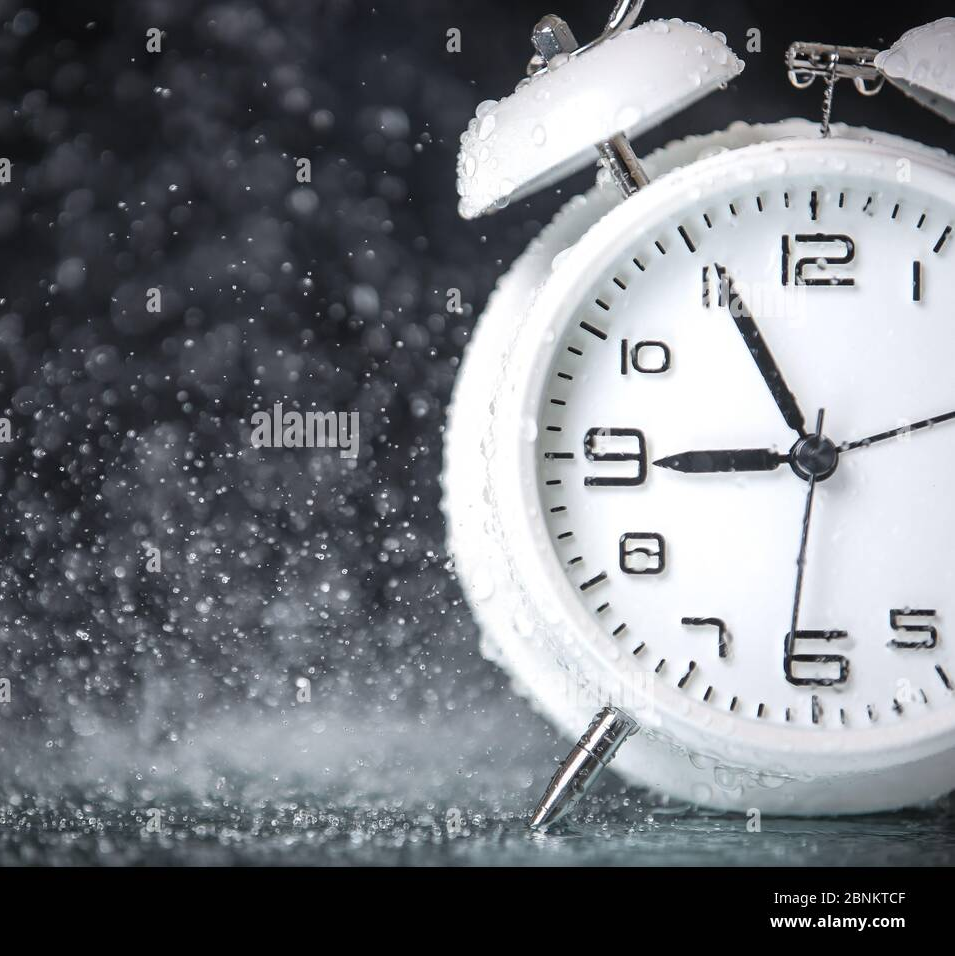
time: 8:55
